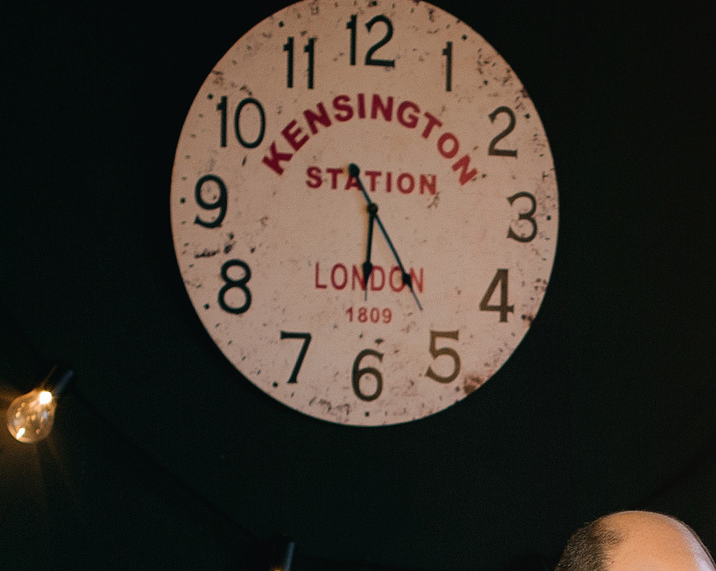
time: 6:24
